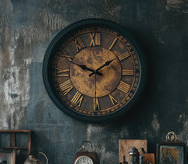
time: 1:48
